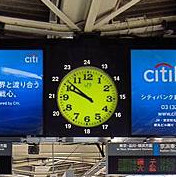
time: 9:51
